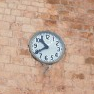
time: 10:39
